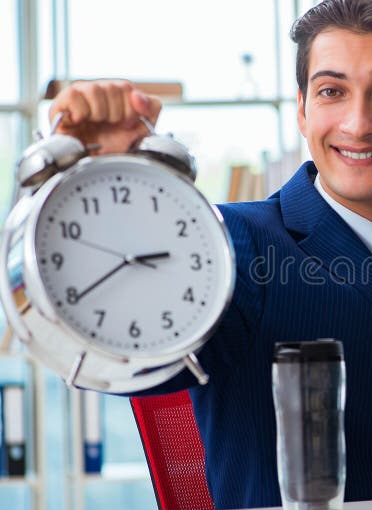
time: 2:39
